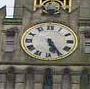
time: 5:24
